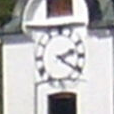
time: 2:20
